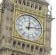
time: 12:13
